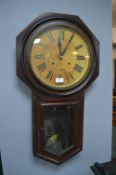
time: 12:05
